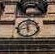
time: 11:42
